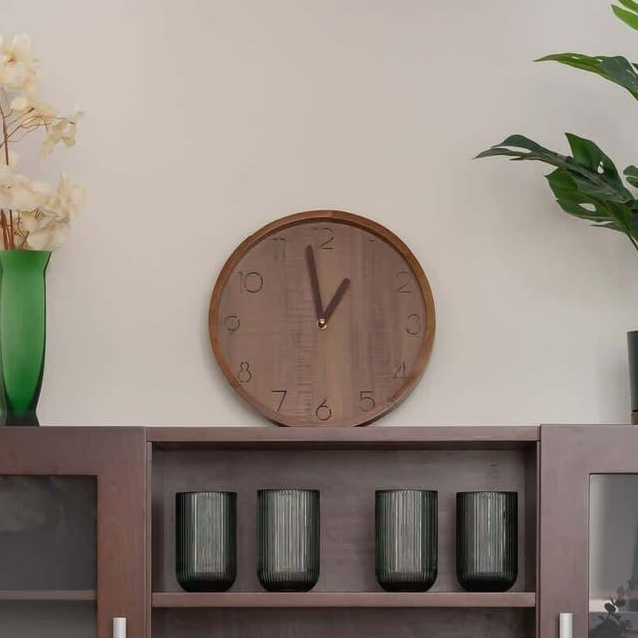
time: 12:58
